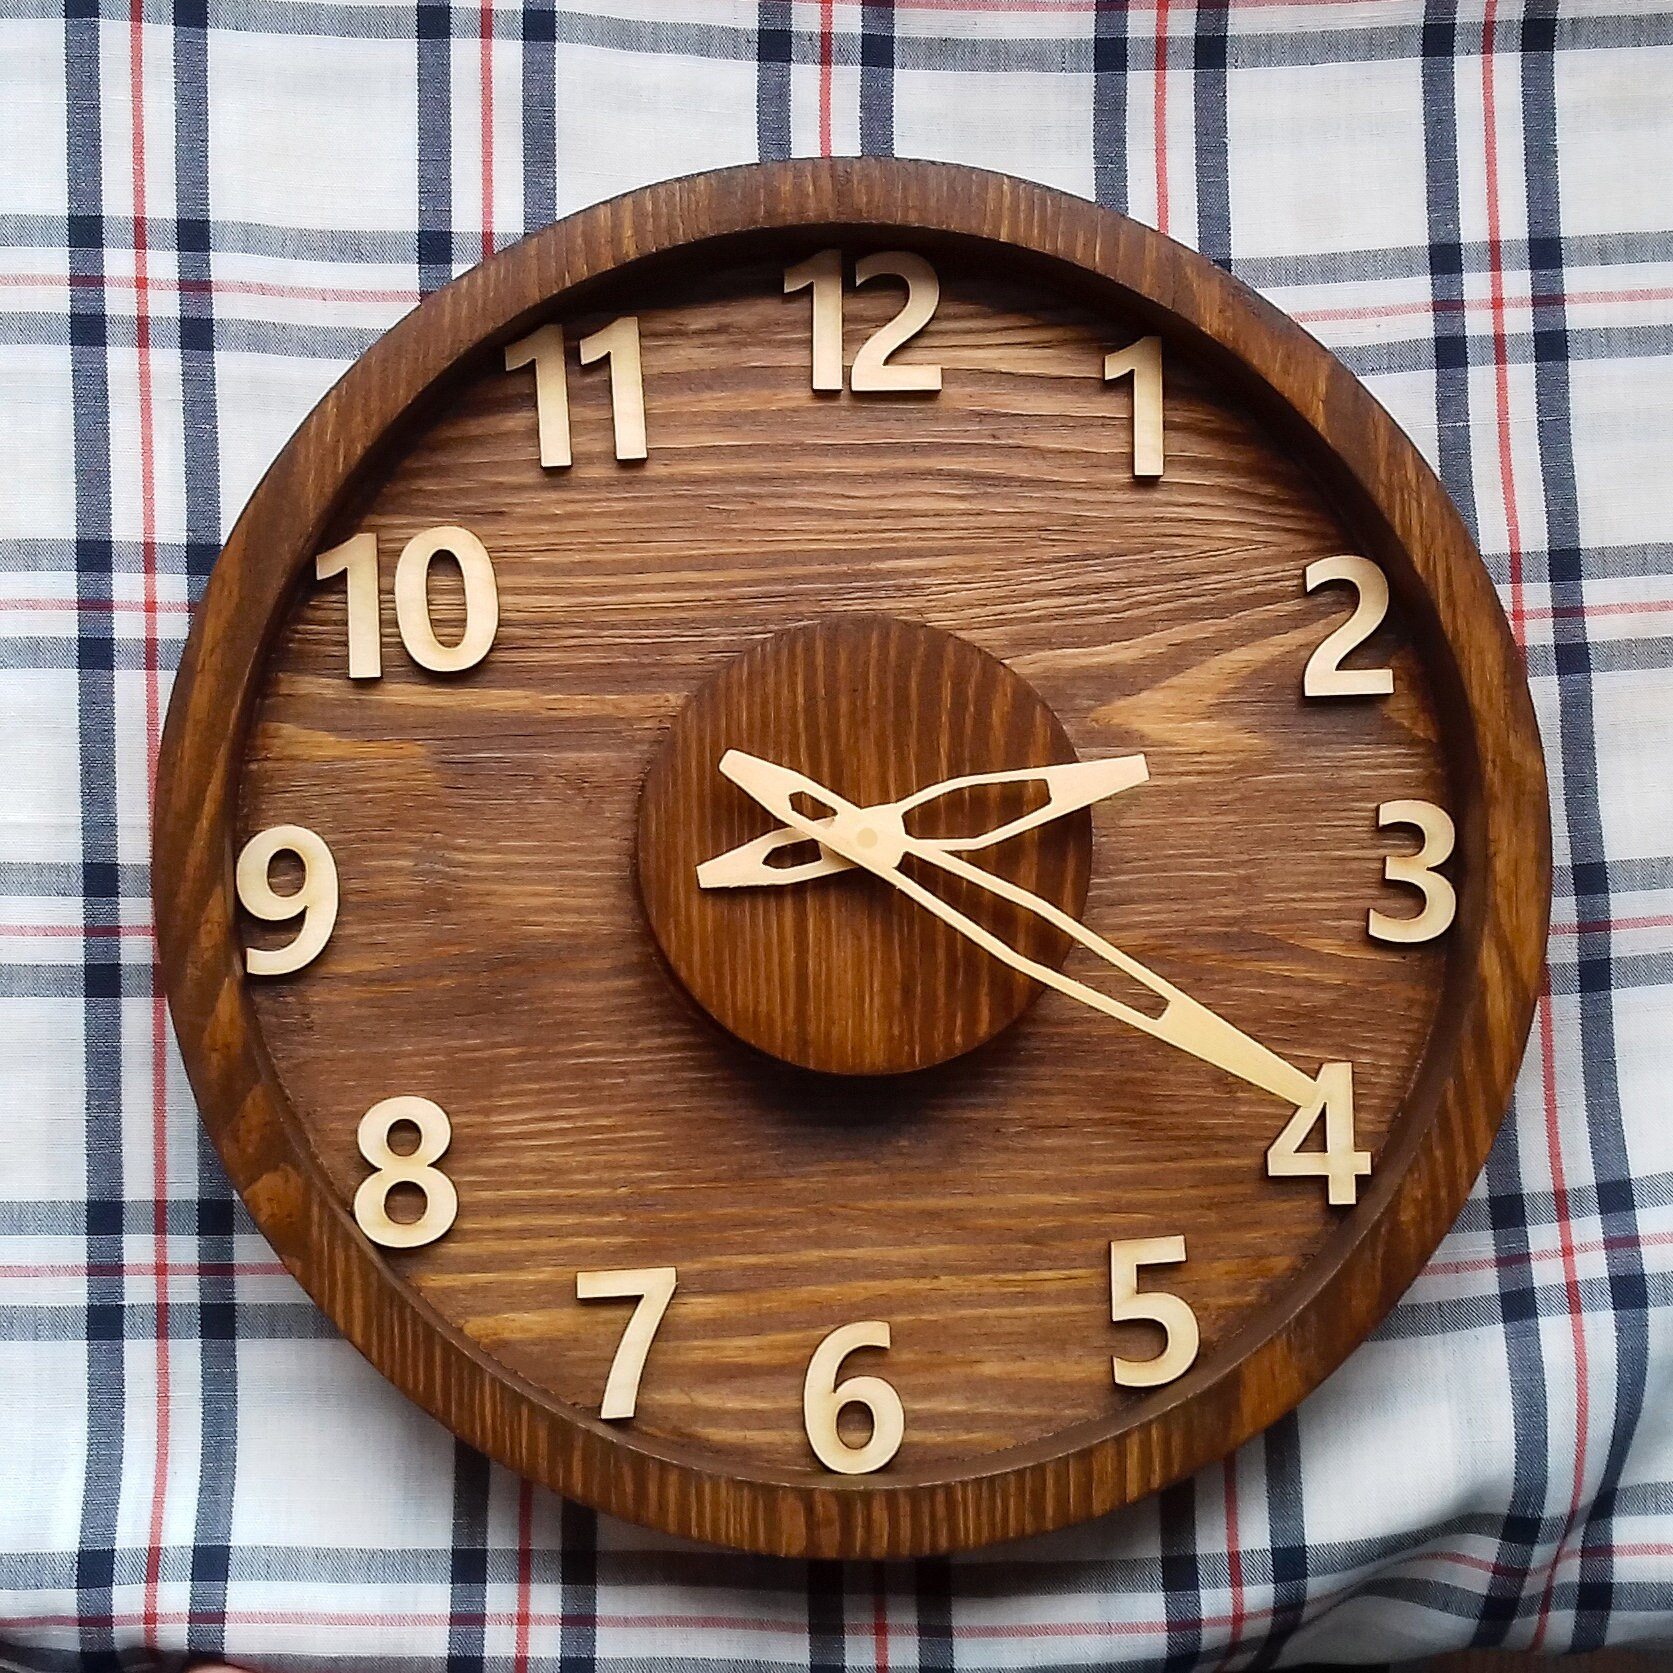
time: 2:19
